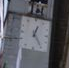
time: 12:24
